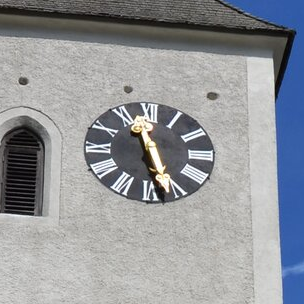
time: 11:26
